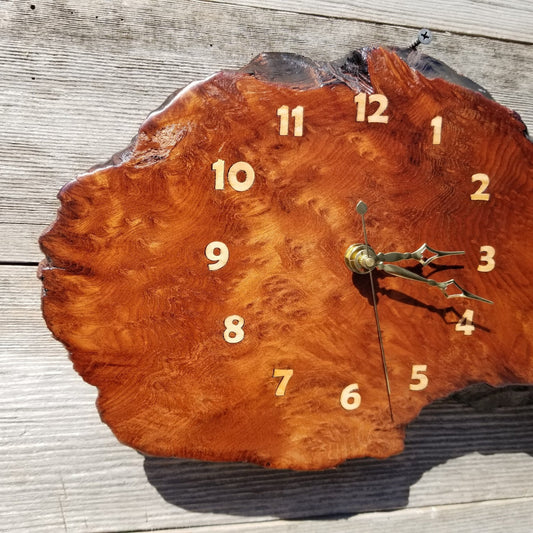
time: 3:19
